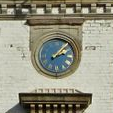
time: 2:07
